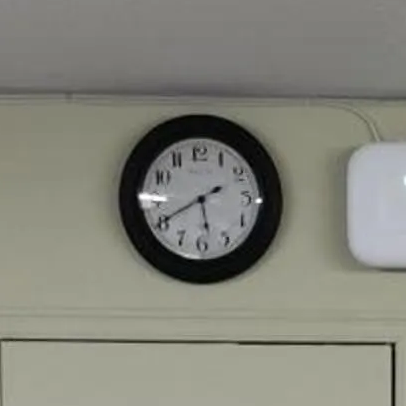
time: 5:40
